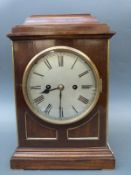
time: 8:30
